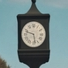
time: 9:28
